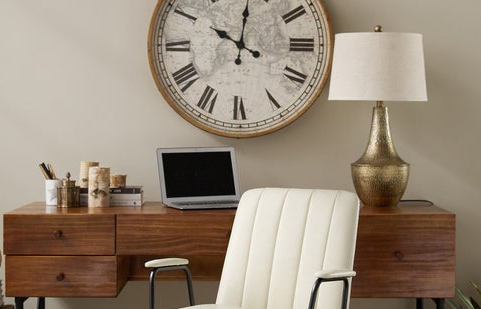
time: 10:00
